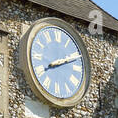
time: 8:11
